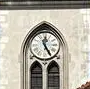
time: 12:24
